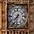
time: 7:32
